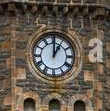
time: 1:00
